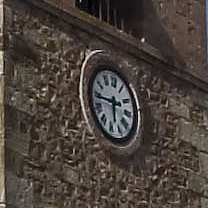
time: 5:44
